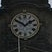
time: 1:49
